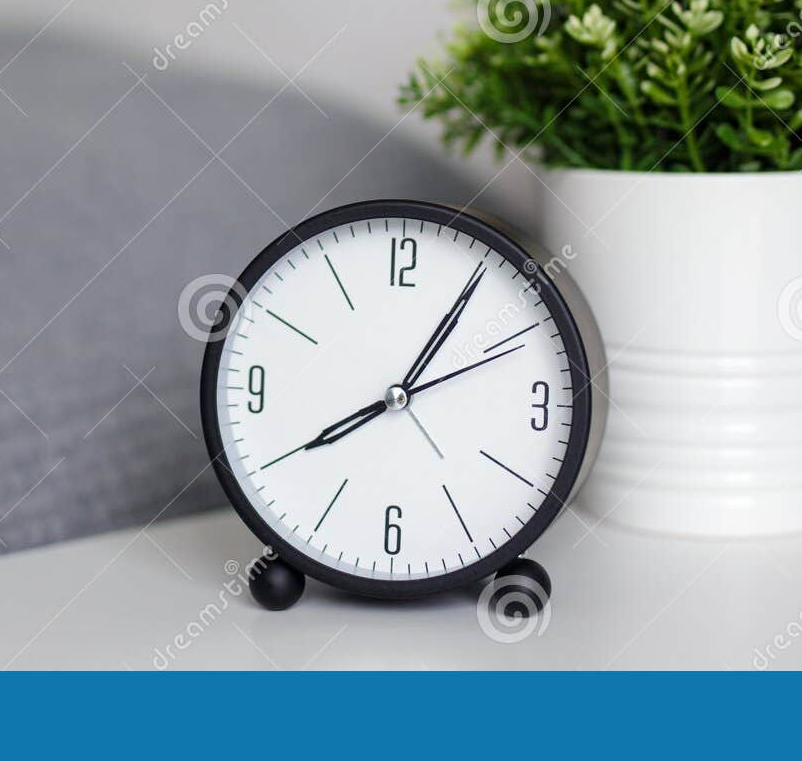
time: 8:05
